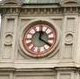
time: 4:01
